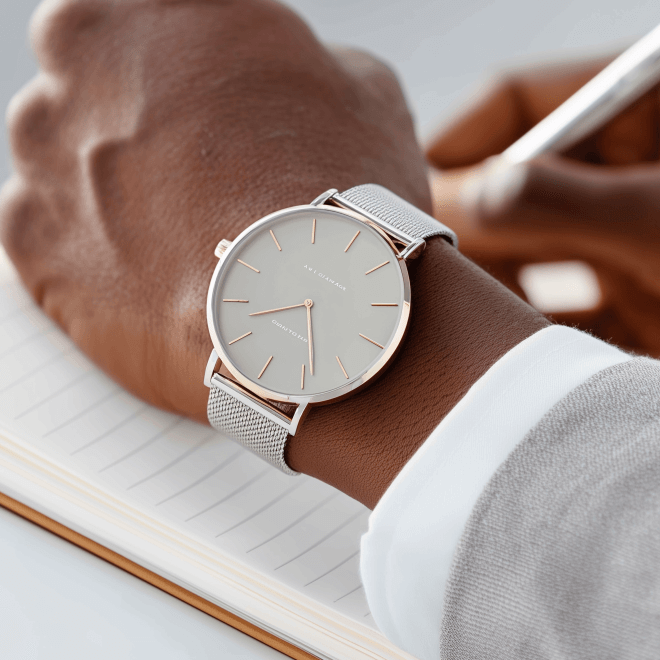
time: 8:28
